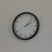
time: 2:07
